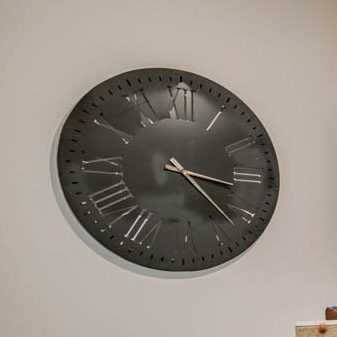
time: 3:22
